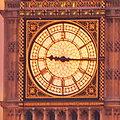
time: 9:15
